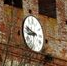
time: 8:47
